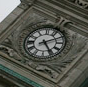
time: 5:11
